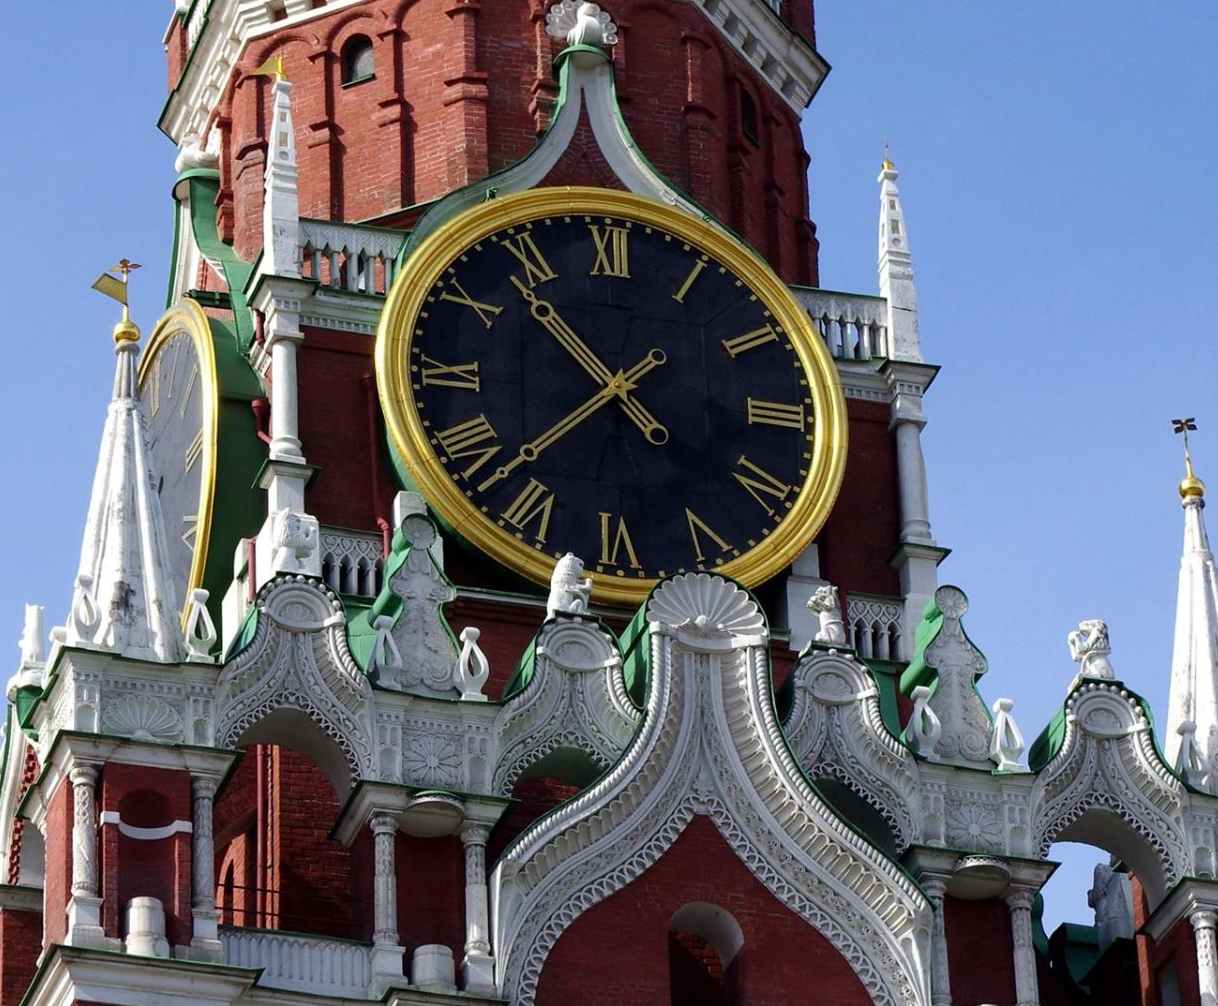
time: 10:37
